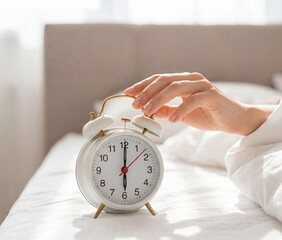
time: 6:00
